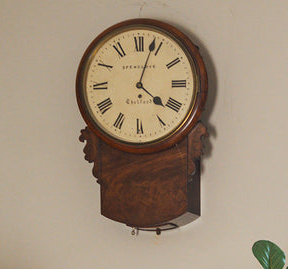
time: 4:03
